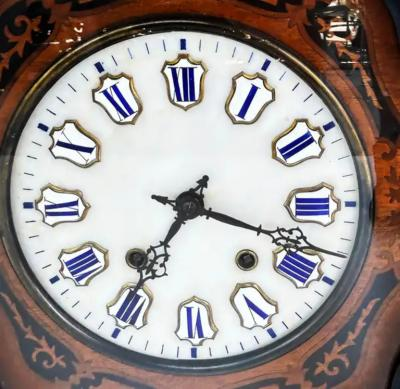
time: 7:18
